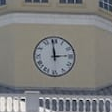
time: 2:59
